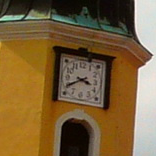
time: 3:40
